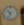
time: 10:34
